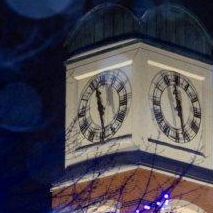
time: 11:28
